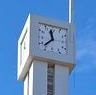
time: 11:37
